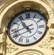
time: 10:42
